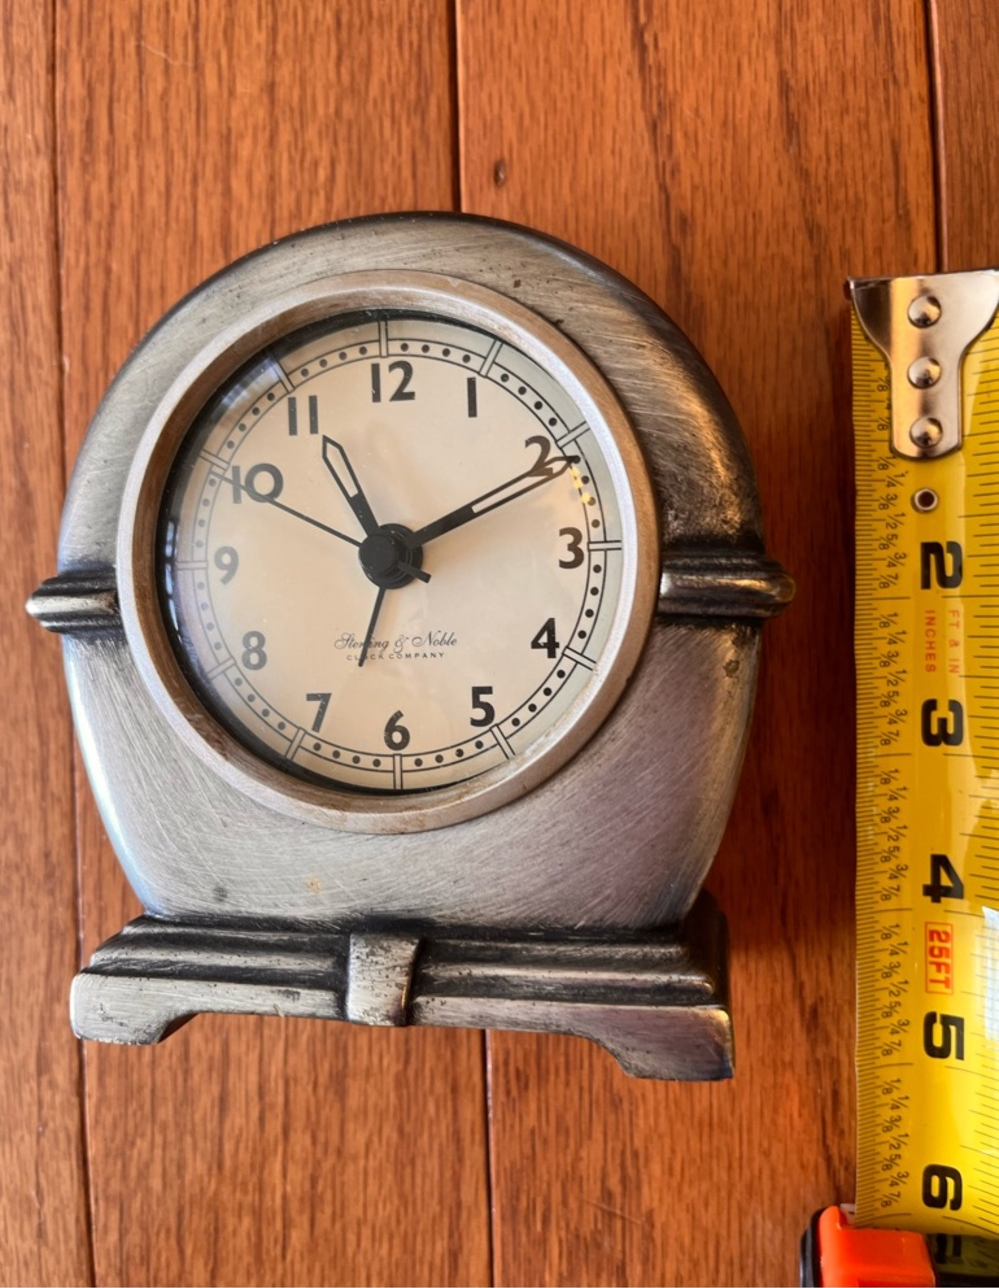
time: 11:10
